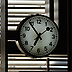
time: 6:54
